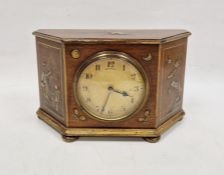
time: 3:33
